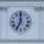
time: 7:00
